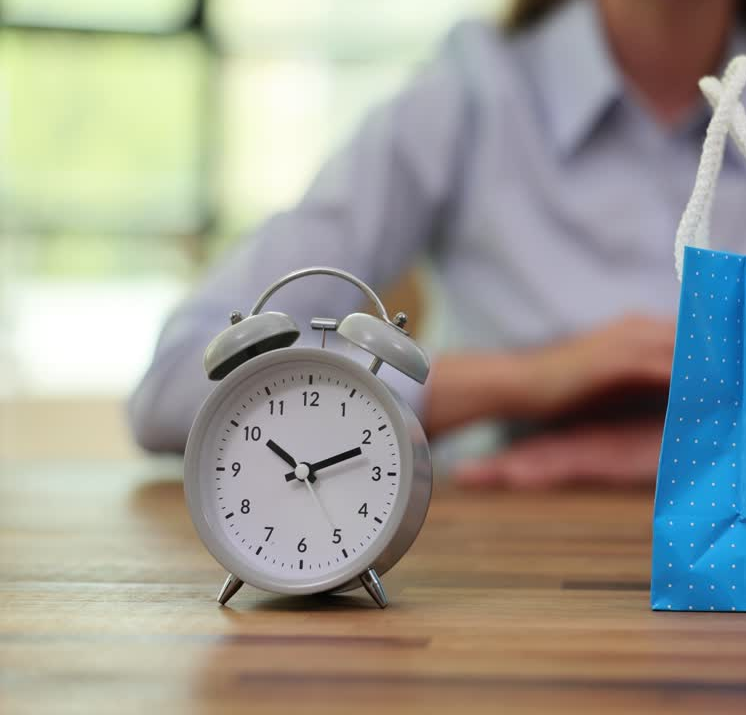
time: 10:11
